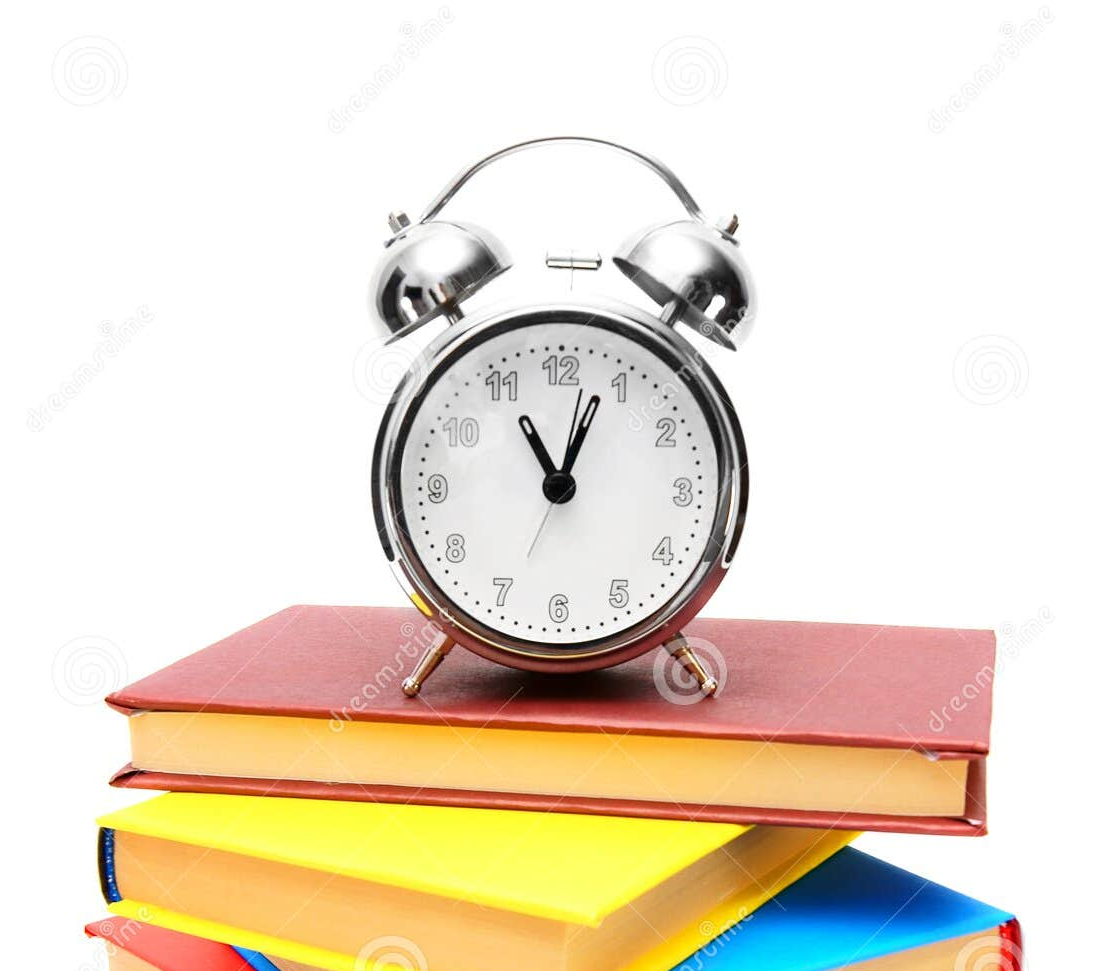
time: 11:03
